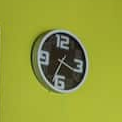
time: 3:34
